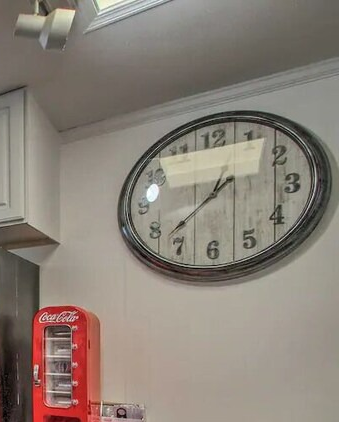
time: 7:37
